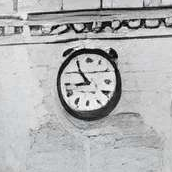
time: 8:54
